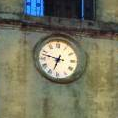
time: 6:47
